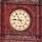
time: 10:45
